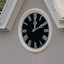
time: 12:10
